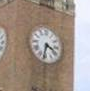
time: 3:32
